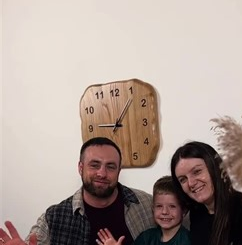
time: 9:06
